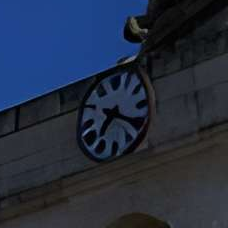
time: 7:20
